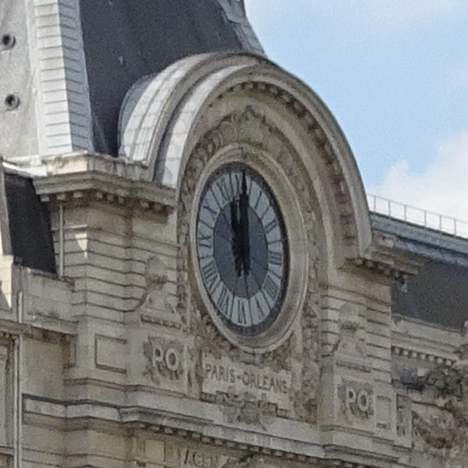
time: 11:00
